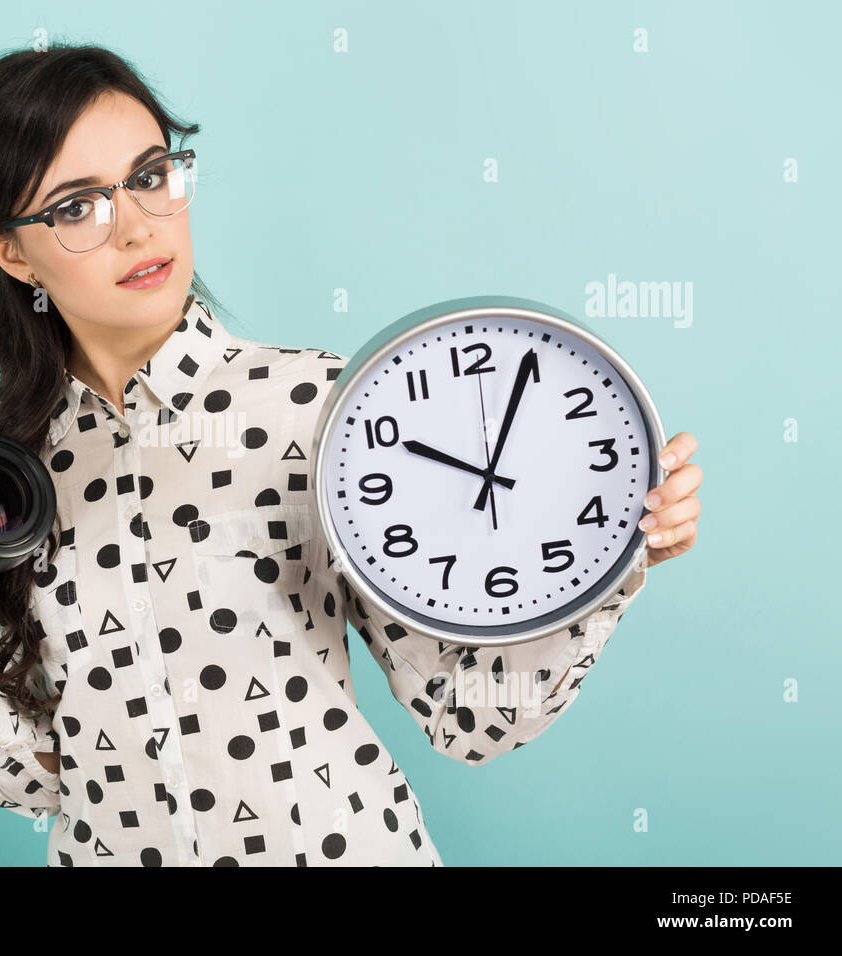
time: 10:04
